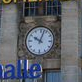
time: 10:02
